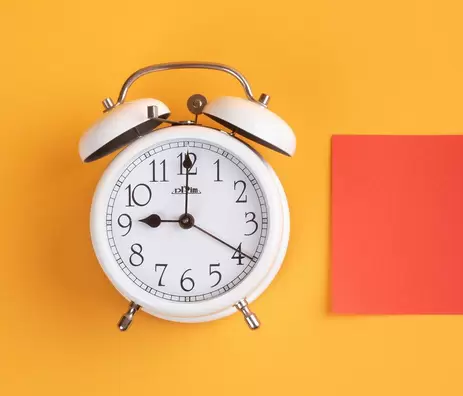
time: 9:00
